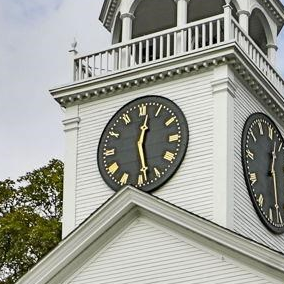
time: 12:28
